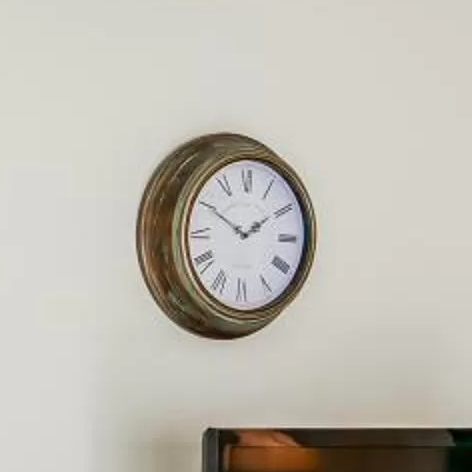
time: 1:50
